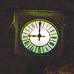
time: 8:59
